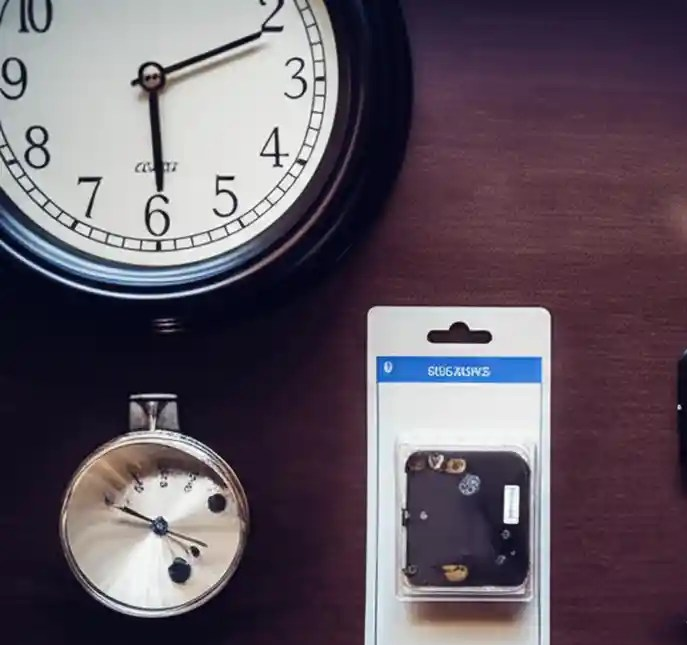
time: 2:29
